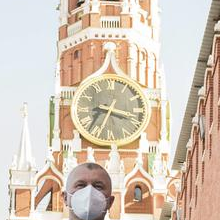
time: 3:34
